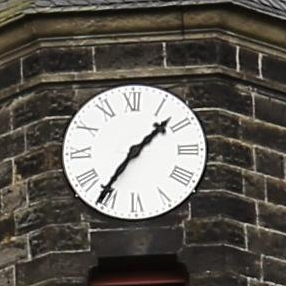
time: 1:36
